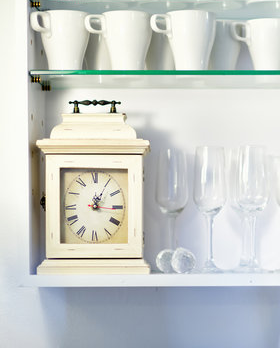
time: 1:16
